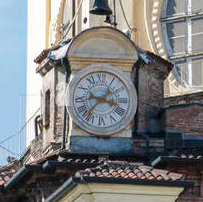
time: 3:37
